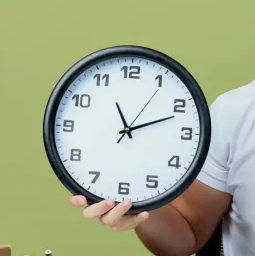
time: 11:11
